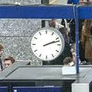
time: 2:12
